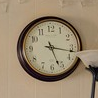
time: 5:17
